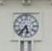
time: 5:36
